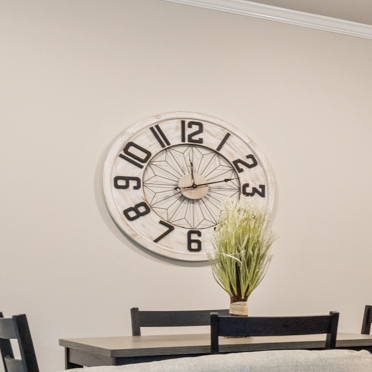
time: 12:11
